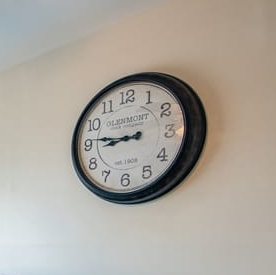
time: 8:46
